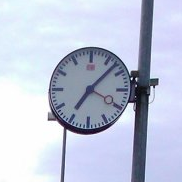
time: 7:07
